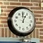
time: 12:59
